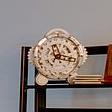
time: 11:17
